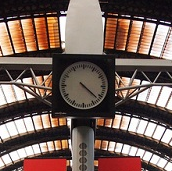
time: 4:21
